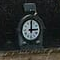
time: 3:00
